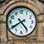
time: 4:40
